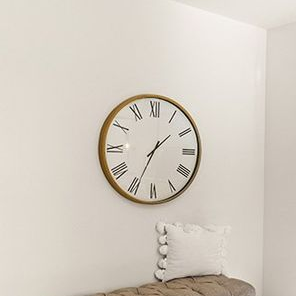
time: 1:34
